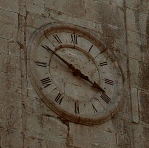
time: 3:50
